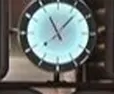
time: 11:07
